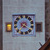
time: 7:20
